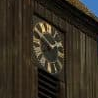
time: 1:50
